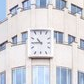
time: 10:45
